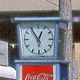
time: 12:54
